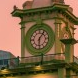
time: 6:05
